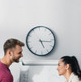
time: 5:16
